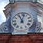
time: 11:02
